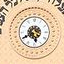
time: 5:40
